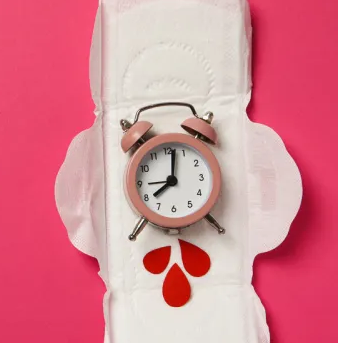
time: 8:01
